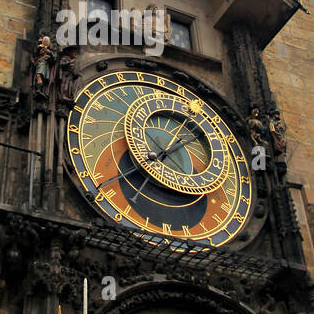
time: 1:38
